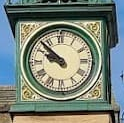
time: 9:52
